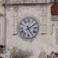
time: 5:09
